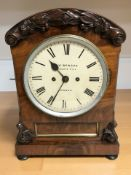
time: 10:34
